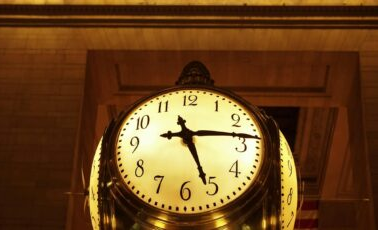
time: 5:14
